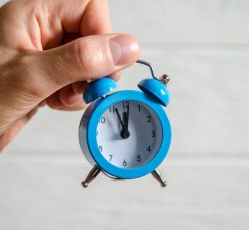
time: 11:56
